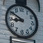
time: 8:50
